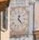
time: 12:22
